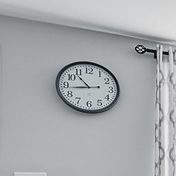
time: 10:43
